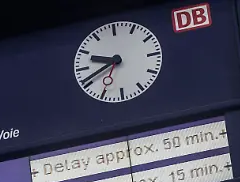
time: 9:41
